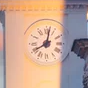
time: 8:01
